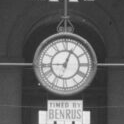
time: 12:44
